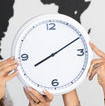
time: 8:10
